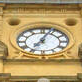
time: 7:03
